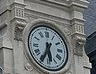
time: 5:34
